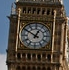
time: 12:50
